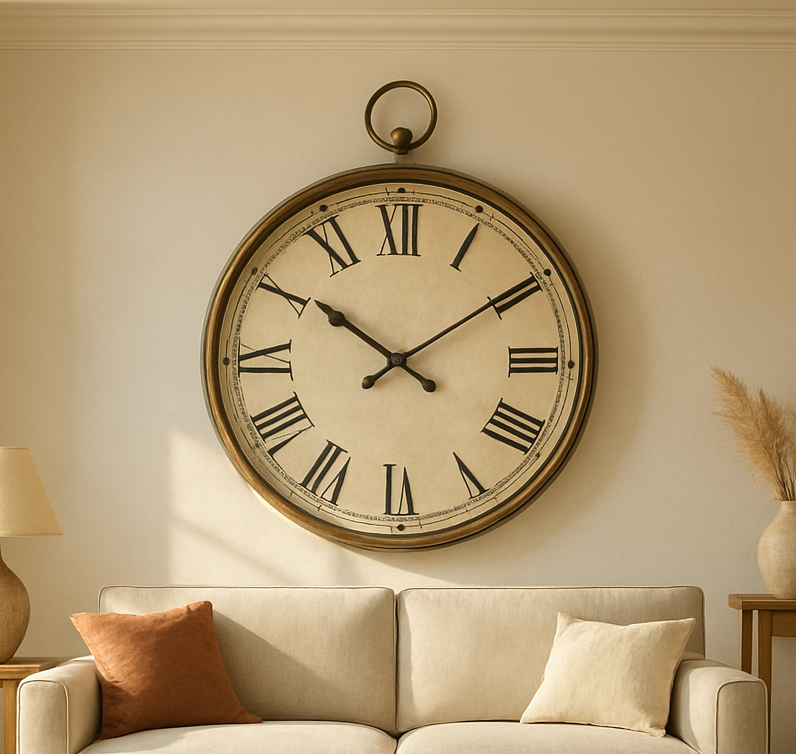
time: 10:09
